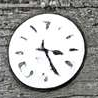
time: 3:25
